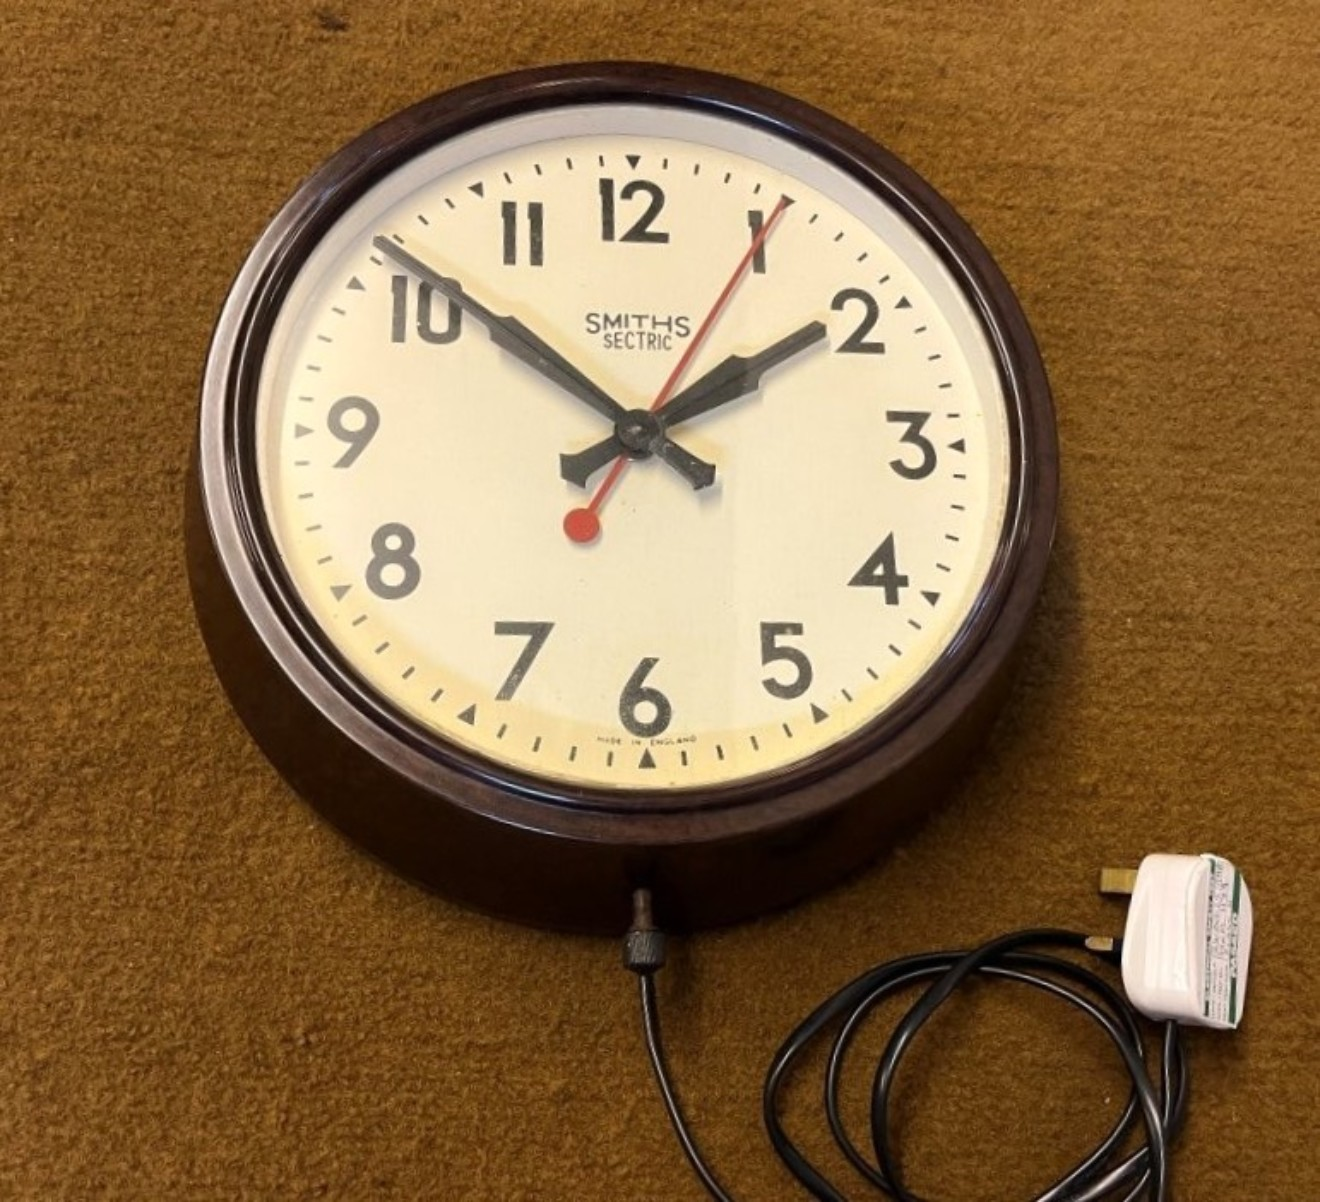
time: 1:51
